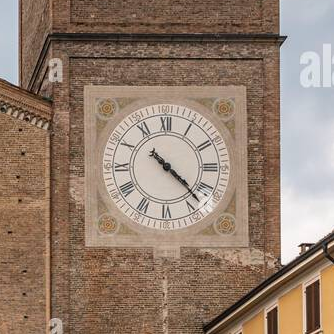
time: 4:22
